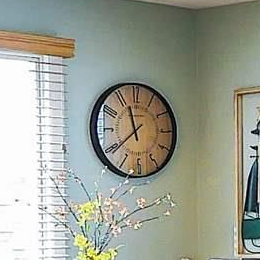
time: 11:38
